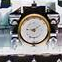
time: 9:09
